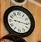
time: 9:16
